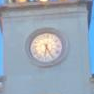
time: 6:25
